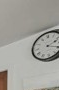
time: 2:18
